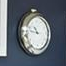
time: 10:46
